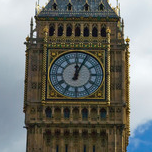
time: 12:04
